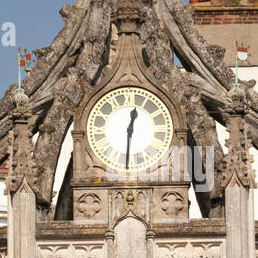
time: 12:30
